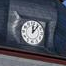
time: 12:06
